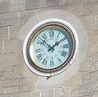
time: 1:52
